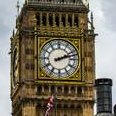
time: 2:12
